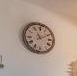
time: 11:10
